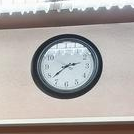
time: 2:38
